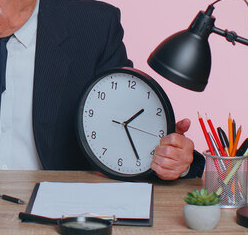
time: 1:24
